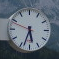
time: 5:33
